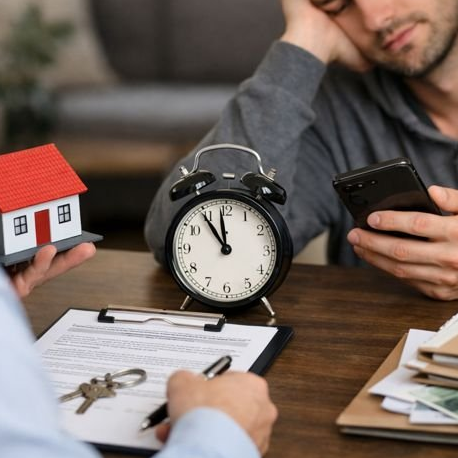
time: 11:54
